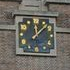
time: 12:07
